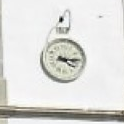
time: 4:14
